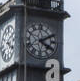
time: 4:10
